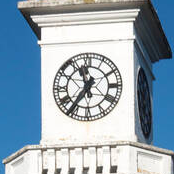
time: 11:36
